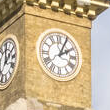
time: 2:04
